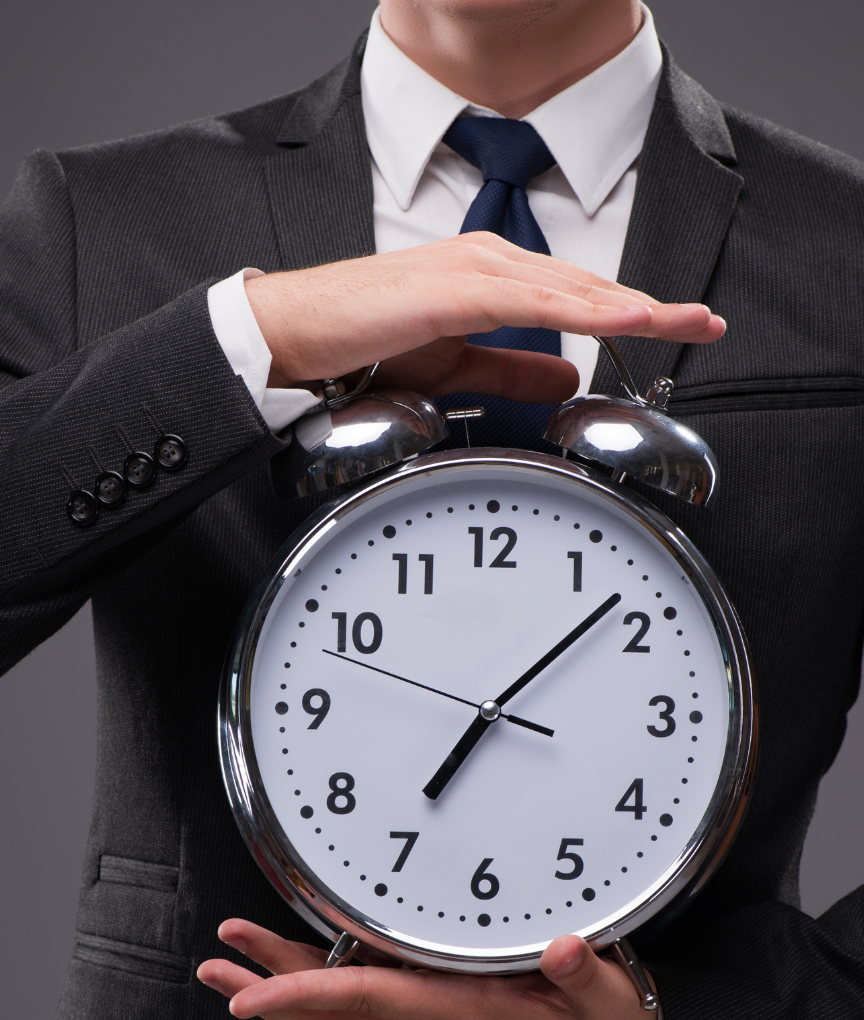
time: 7:07
